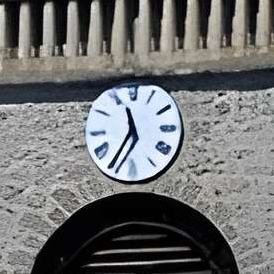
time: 11:35
